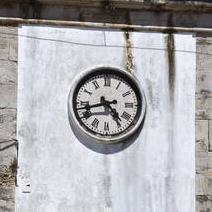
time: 4:42
